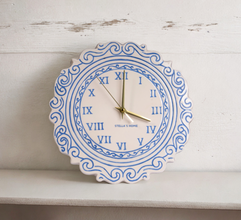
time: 4:00
